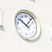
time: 10:07
